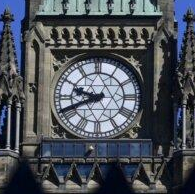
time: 9:41
